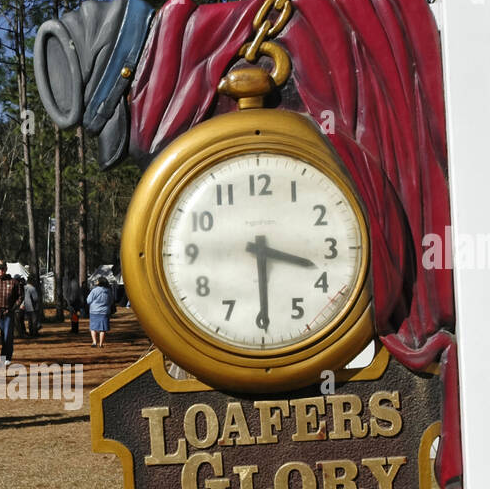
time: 3:29
